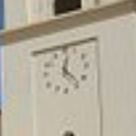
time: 12:23
